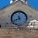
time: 11:40
